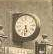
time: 5:31
